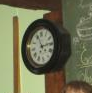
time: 11:13
